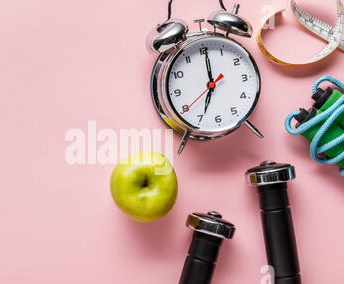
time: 7:00
